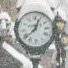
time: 12:38
